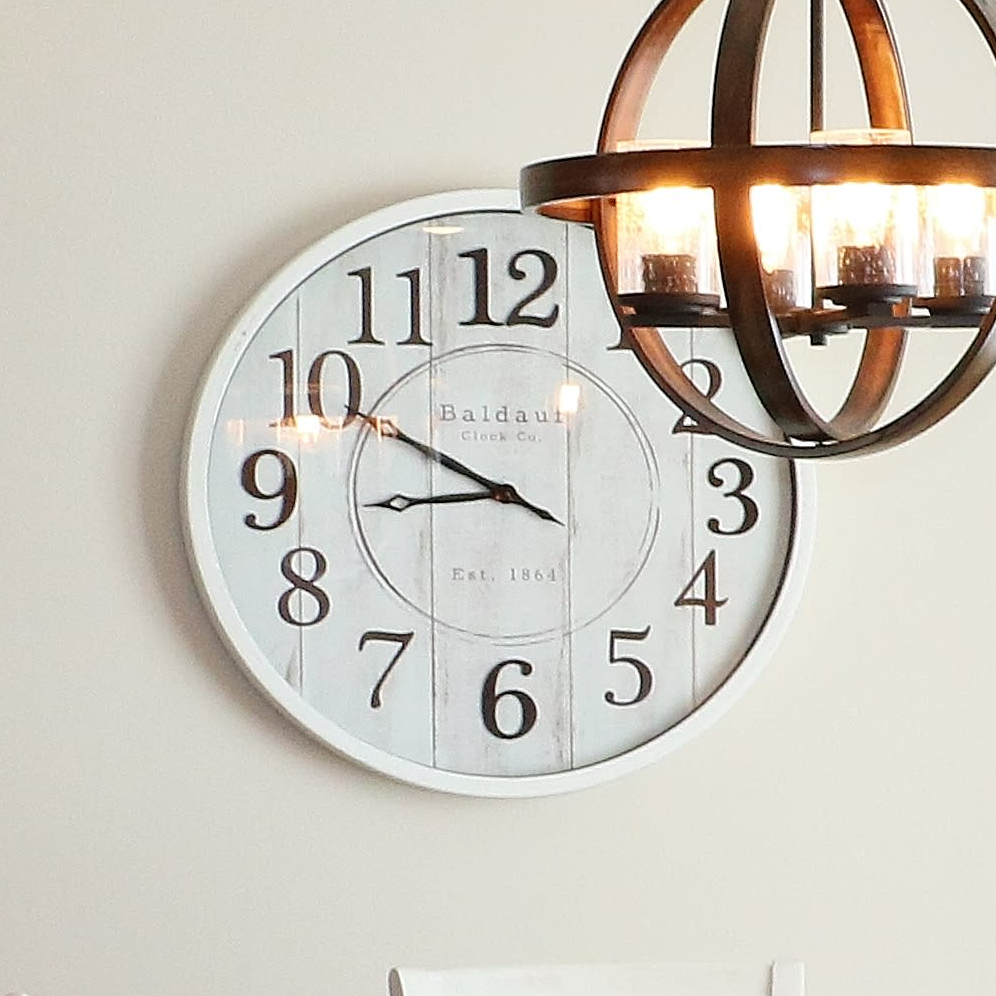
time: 8:49
